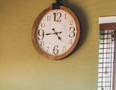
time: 4:44
